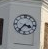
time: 3:36
